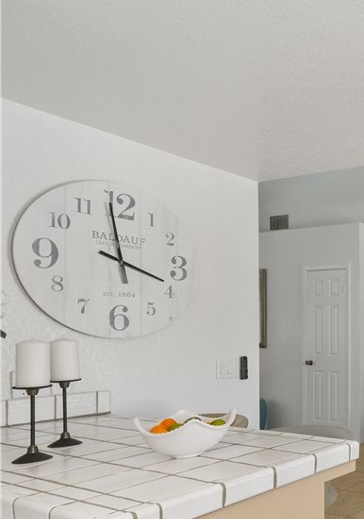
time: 3:58
